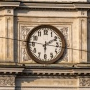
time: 6:10
